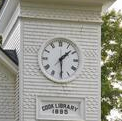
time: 1:29
